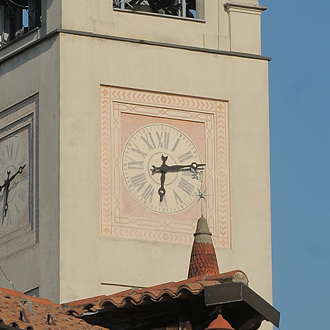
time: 6:13
